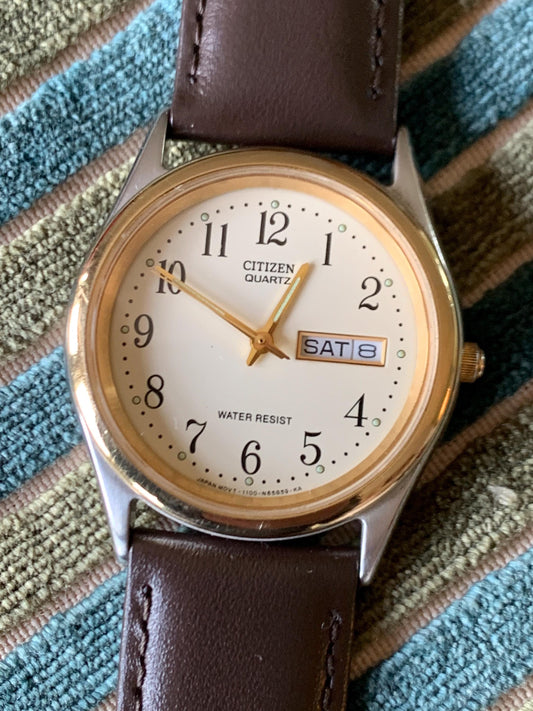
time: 3:04
